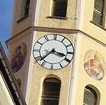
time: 3:37
